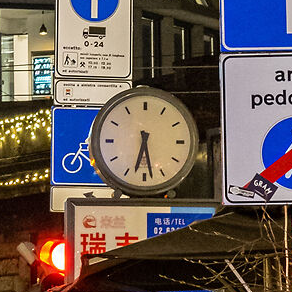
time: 6:28
